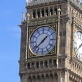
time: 1:38
